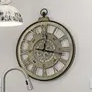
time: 12:17
